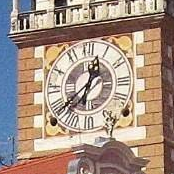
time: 12:38
